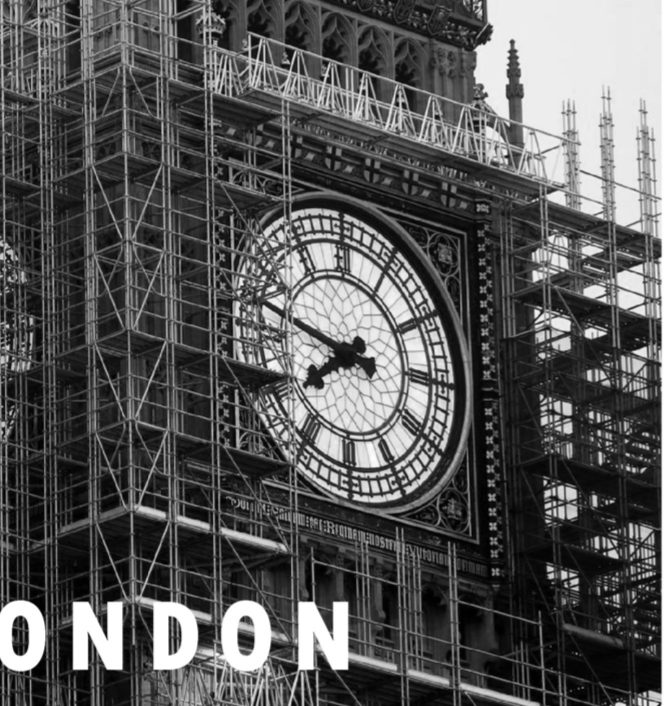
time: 7:47
